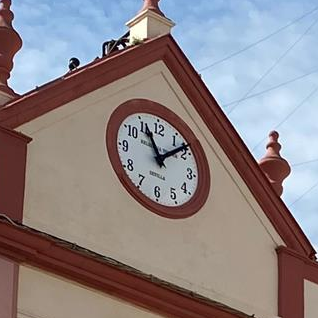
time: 11:08
